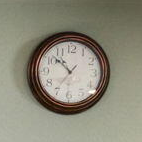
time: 10:36
